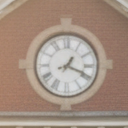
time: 1:18
